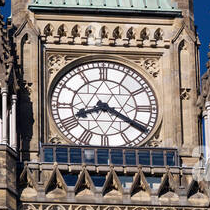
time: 8:20
